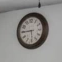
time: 5:44
